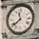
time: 11:38
